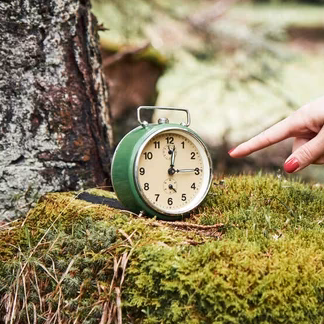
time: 12:14
